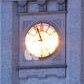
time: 8:56
